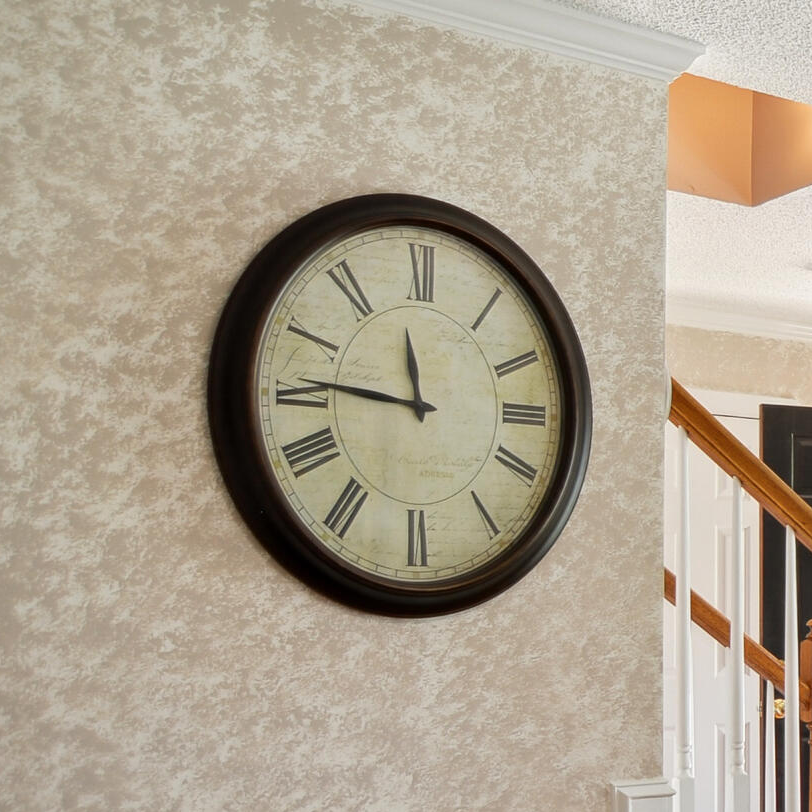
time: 11:45
